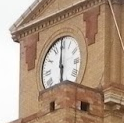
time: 5:59
